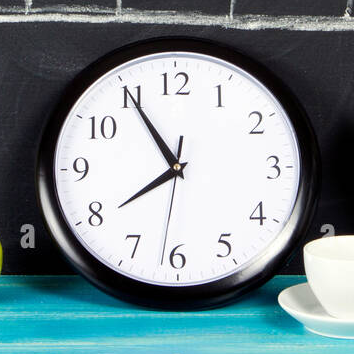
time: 7:54
